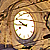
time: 9:44
